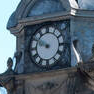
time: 9:50
